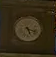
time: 5:18
